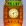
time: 6:11
